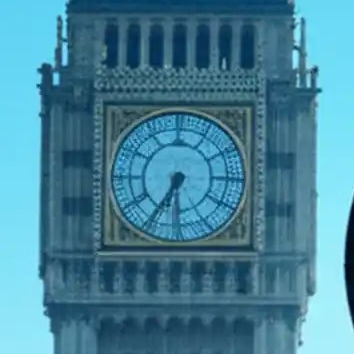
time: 6:35
